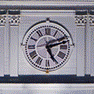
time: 5:12
